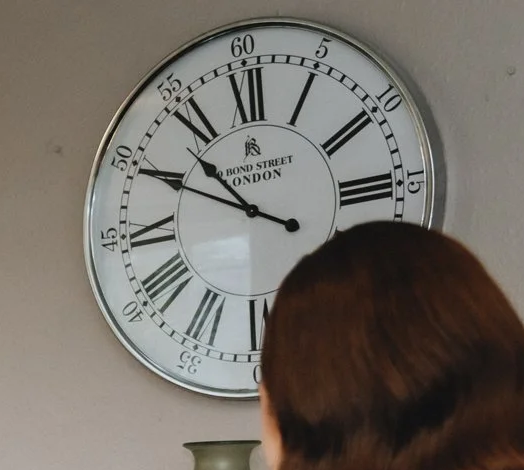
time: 10:49
